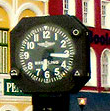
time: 6:15
